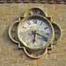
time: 6:18
